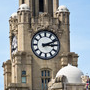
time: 3:11
